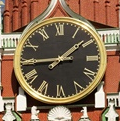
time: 1:44
